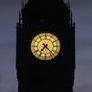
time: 7:22
